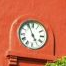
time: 4:56
